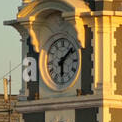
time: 6:08
